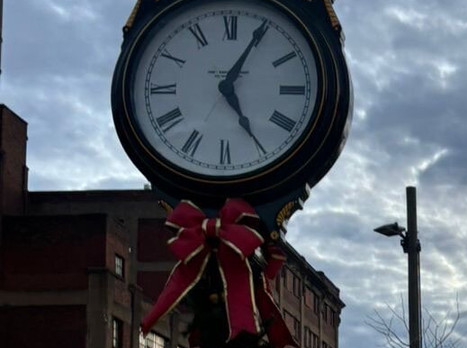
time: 5:04
